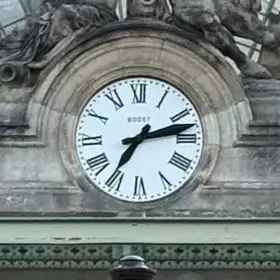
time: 7:12
